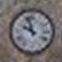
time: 9:57
